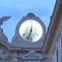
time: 6:32
